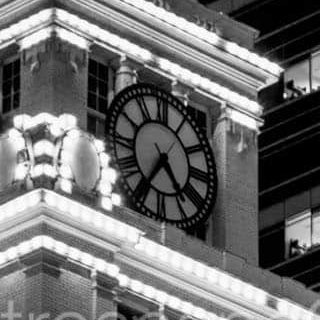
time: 4:35
